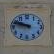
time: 9:47
